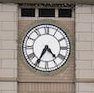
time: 4:35
